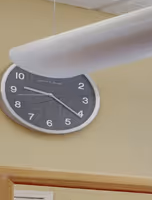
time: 9:20
